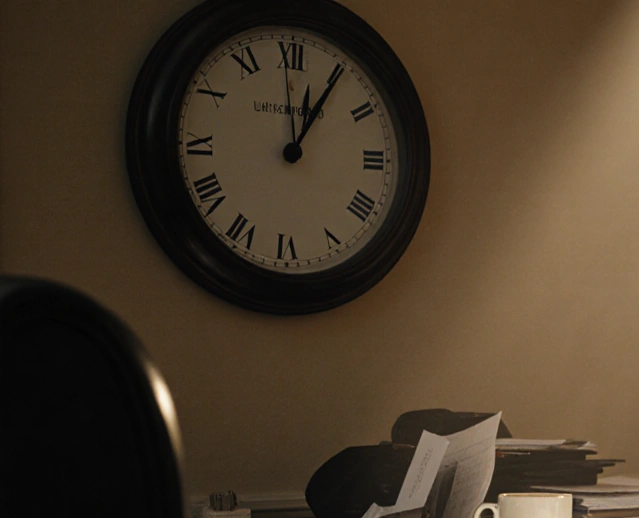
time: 12:05
